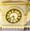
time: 5:40
